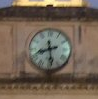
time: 8:28
